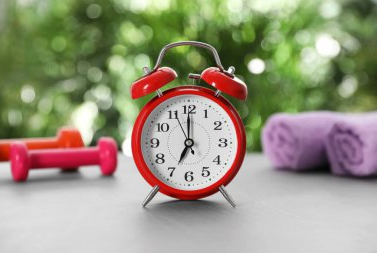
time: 7:00
